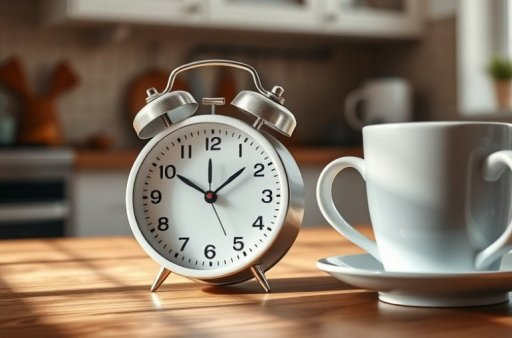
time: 1:50
